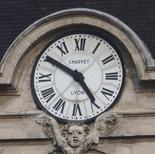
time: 4:50
